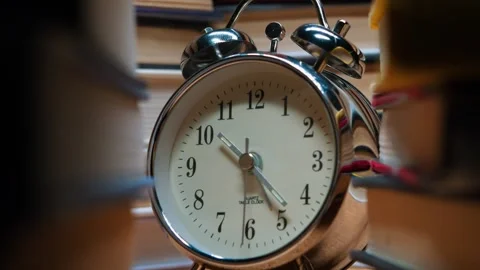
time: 10:24
